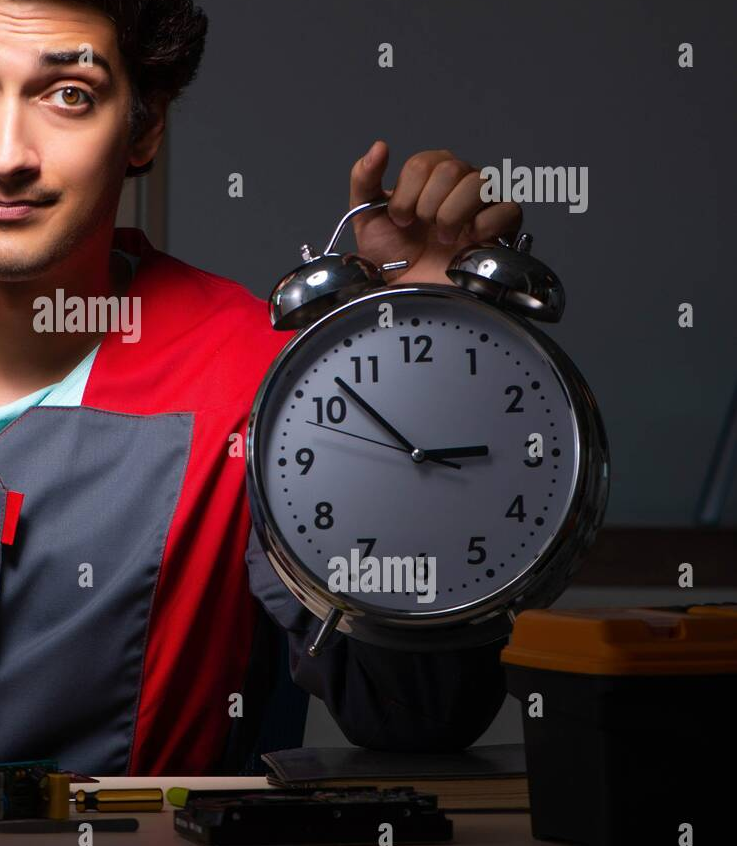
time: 2:52
